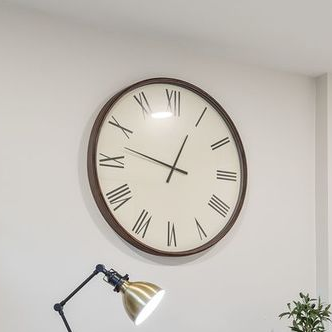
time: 12:47
